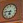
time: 6:46
